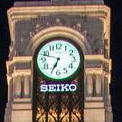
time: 6:47
